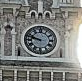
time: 9:47
